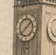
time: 1:38
